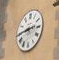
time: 2:44
